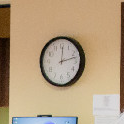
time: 12:12
